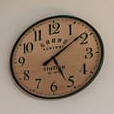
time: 5:08
